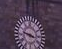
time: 3:47
